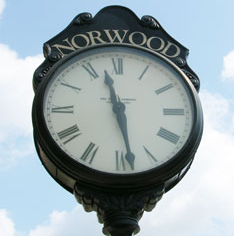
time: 11:28
